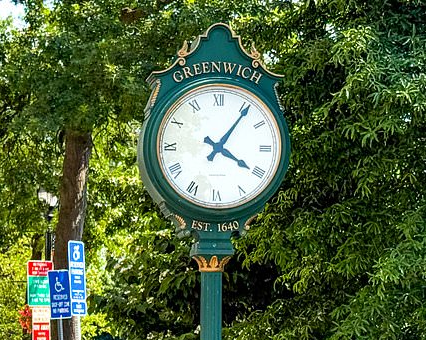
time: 4:06
